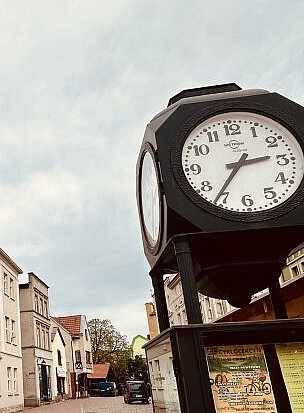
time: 2:36
